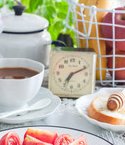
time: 7:10
